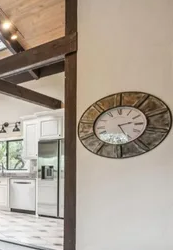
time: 2:25
